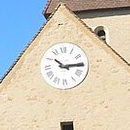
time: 10:14
